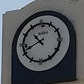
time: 10:41
